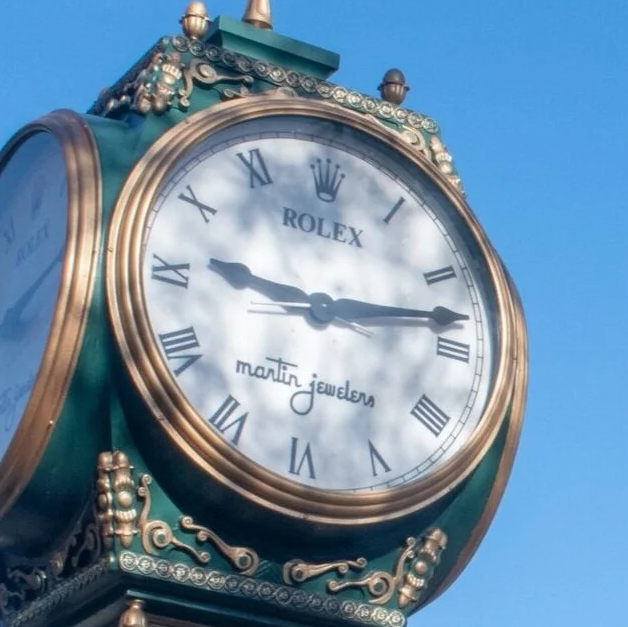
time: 9:12
